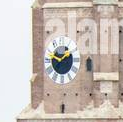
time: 1:47
